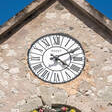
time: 4:10
